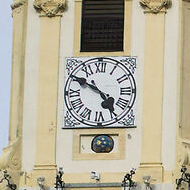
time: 4:50
